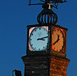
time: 3:13
